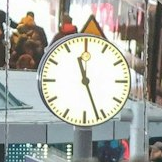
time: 11:26
